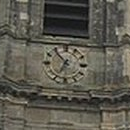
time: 6:53
